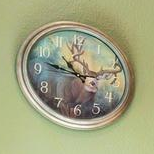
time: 10:47
